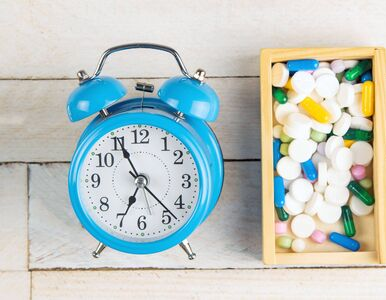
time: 6:55
